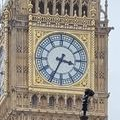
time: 3:34
